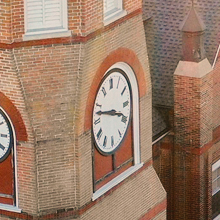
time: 3:47
